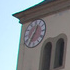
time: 12:34
